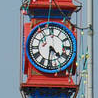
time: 4:31
